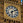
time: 6:10
